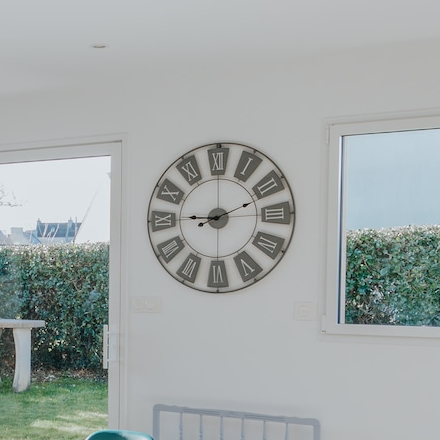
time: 9:11
